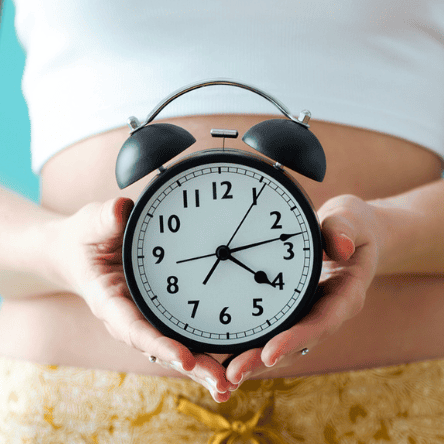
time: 4:13
